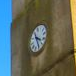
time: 3:24
